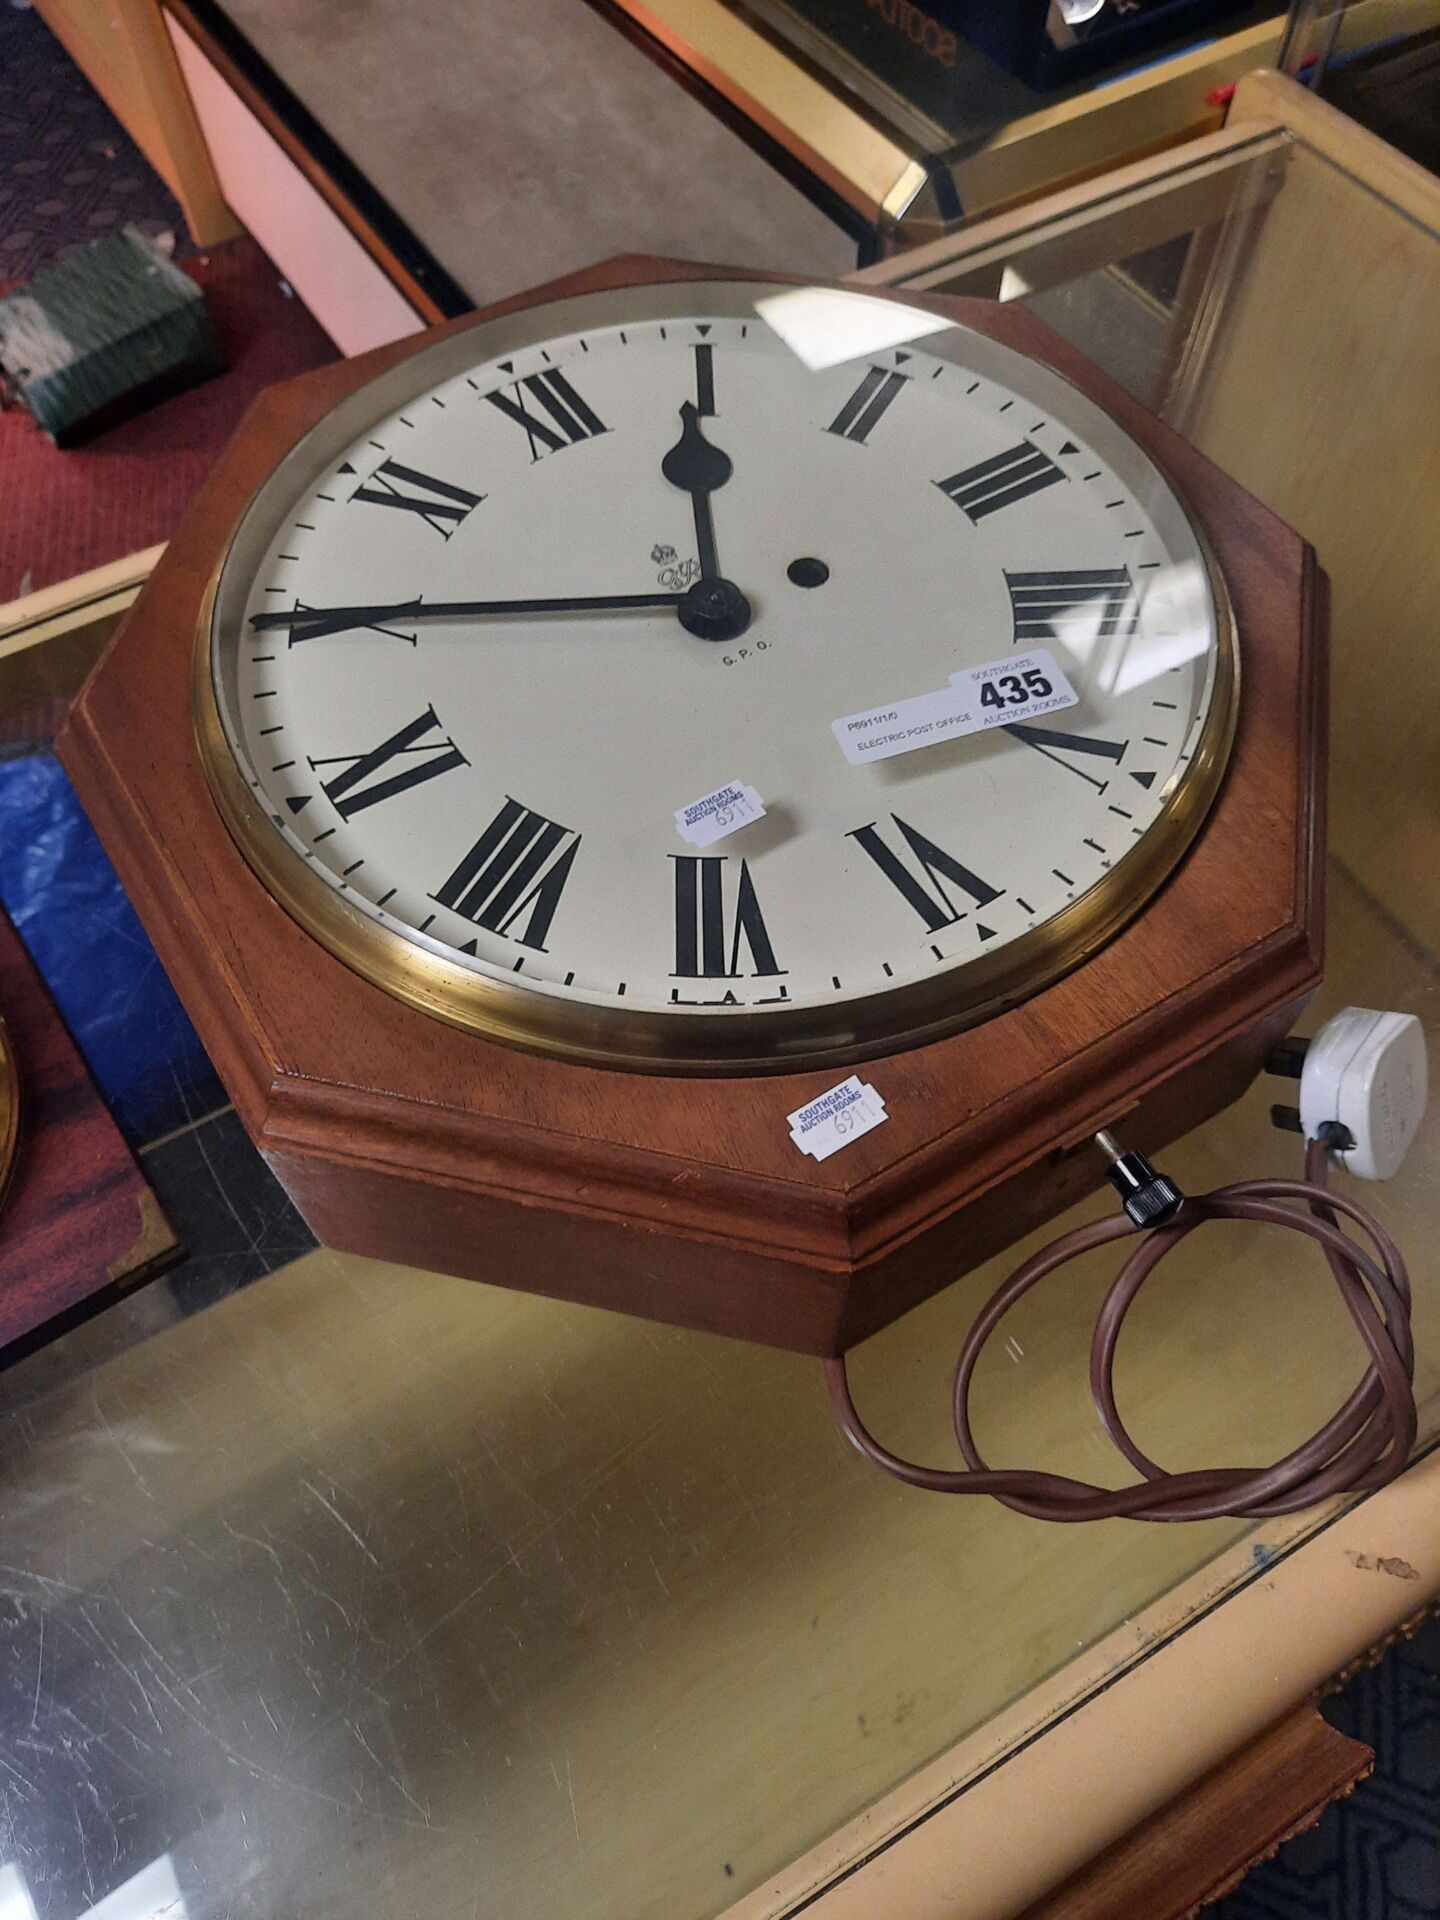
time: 11:45
